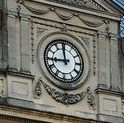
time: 11:44
